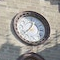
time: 12:37
